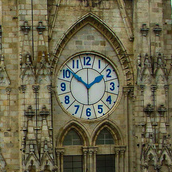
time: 1:51
